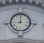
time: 8:59
